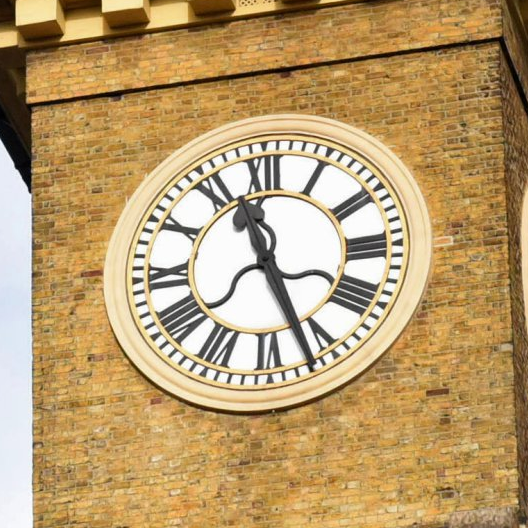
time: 11:26
